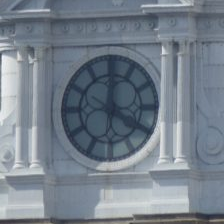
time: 4:00
